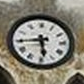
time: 5:44
